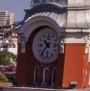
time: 10:36
